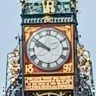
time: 9:51
